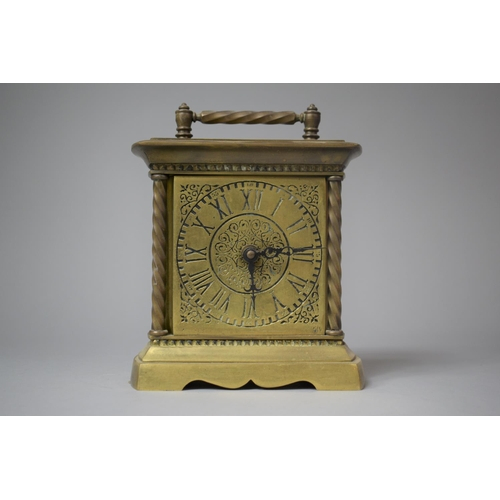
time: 6:14
